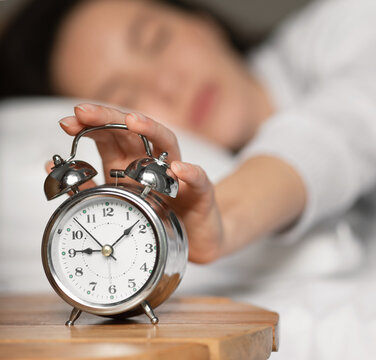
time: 9:08
